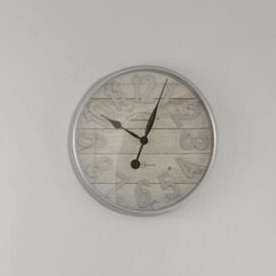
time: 10:04
